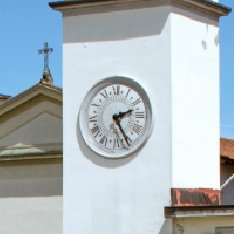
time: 2:25
